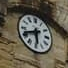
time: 5:41
